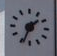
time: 1:33
